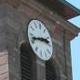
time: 2:42
